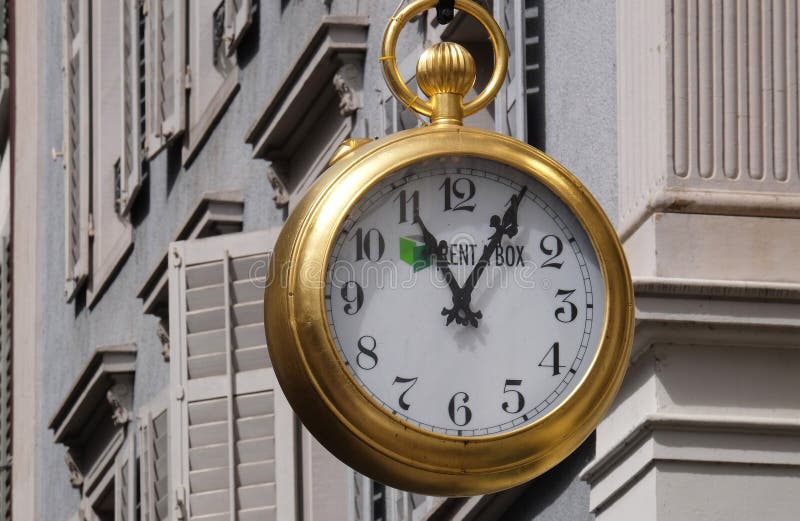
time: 11:05
